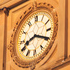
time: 8:19
